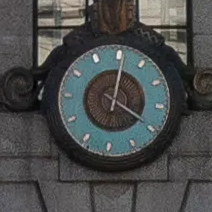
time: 4:01
